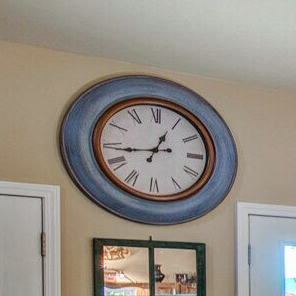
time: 12:43
